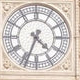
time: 4:33
